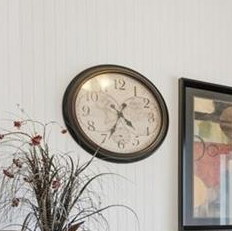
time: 4:33
